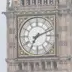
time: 7:11
